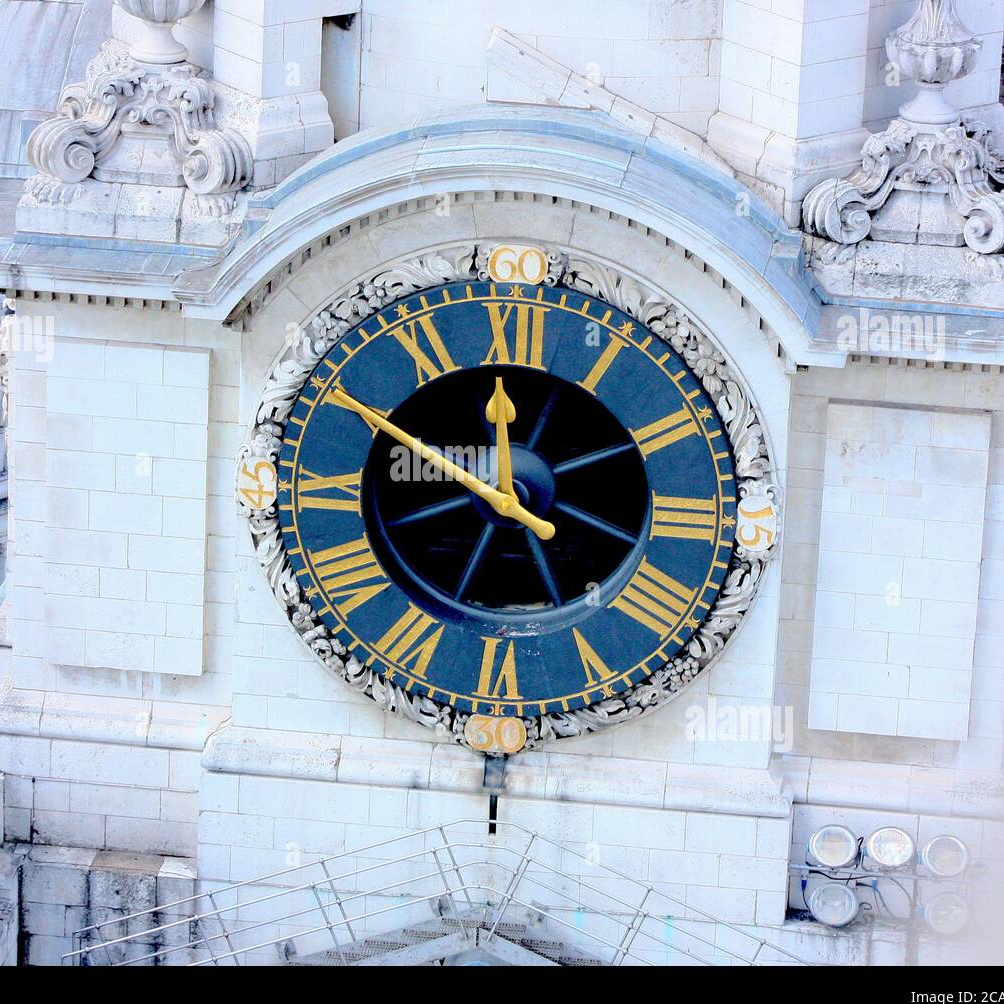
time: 11:49
